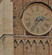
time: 2:35
